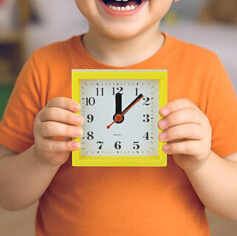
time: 12:07
